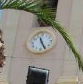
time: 11:25
